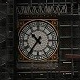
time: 10:36
